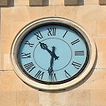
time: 10:31
